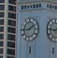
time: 1:45
